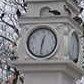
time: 12:31
